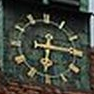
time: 6:15
